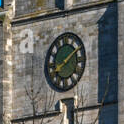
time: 8:09
